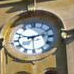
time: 9:12
